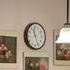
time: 11:26
